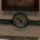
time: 4:50
